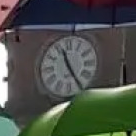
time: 11:25
